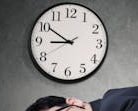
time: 8:50
